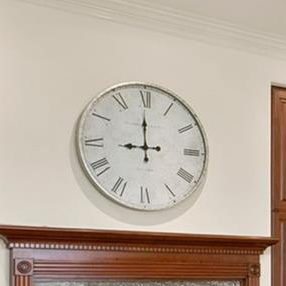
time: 8:59
